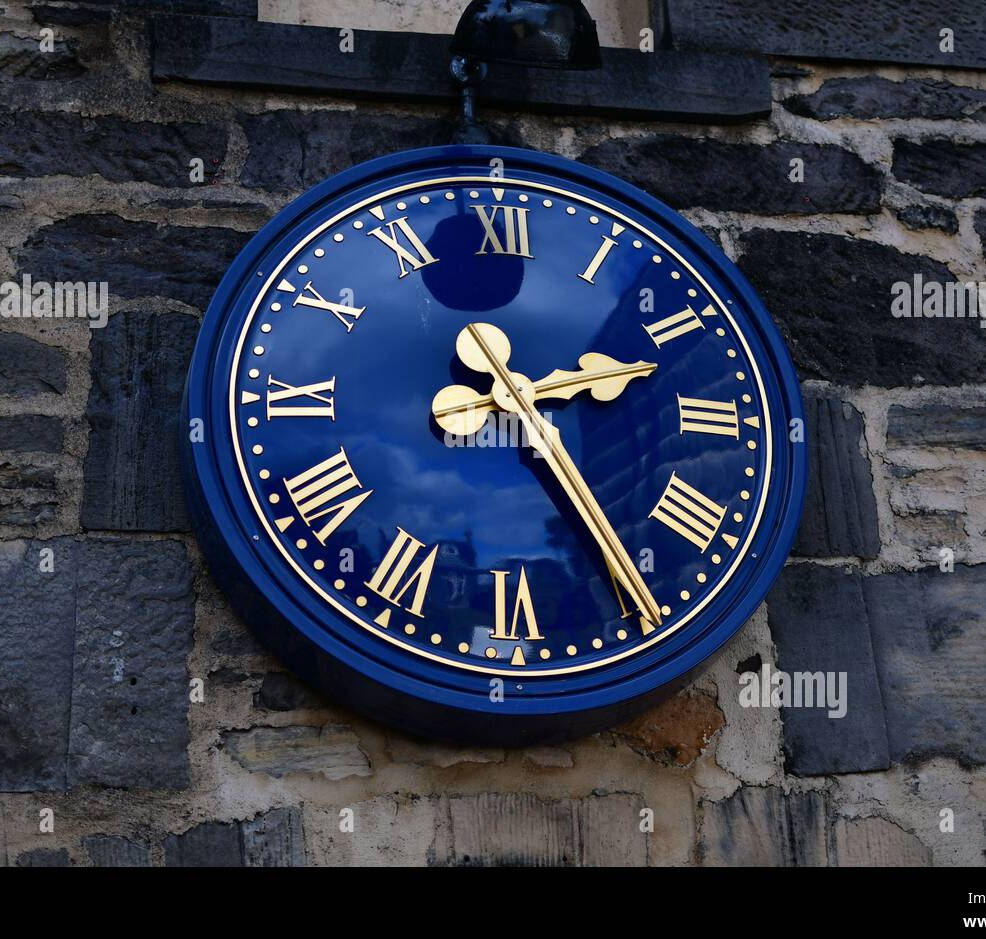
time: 2:24
